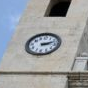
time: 3:12
